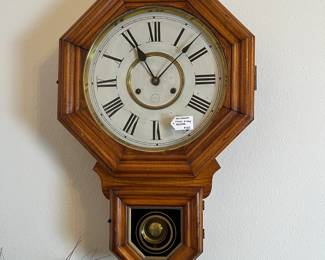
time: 11:07
